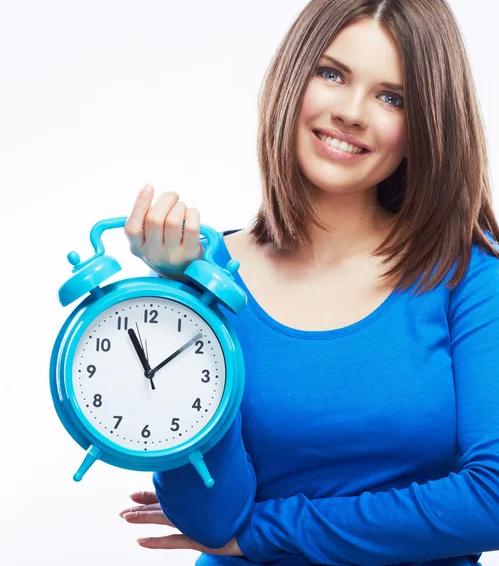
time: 11:08
